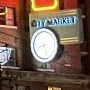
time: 8:26
